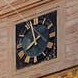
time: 7:57
